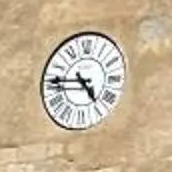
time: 4:45
